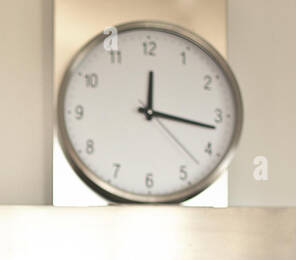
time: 12:16
